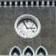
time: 2:56
